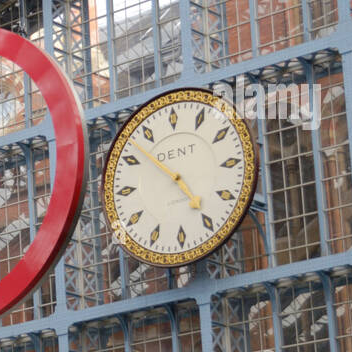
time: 4:52
